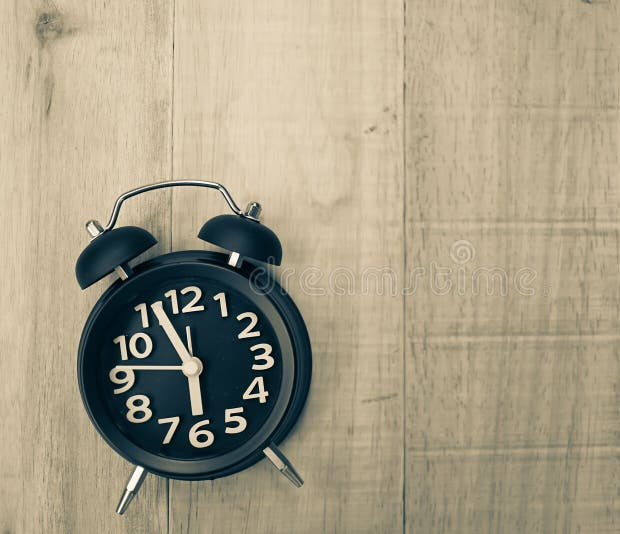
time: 5:55
